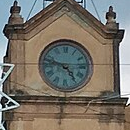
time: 4:47
